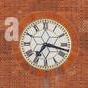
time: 7:17
